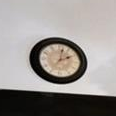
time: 2:02
